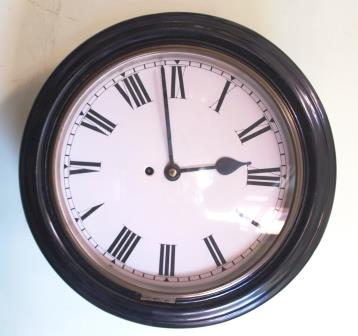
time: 2:58
